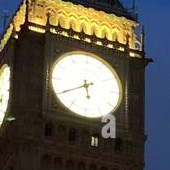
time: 5:40
